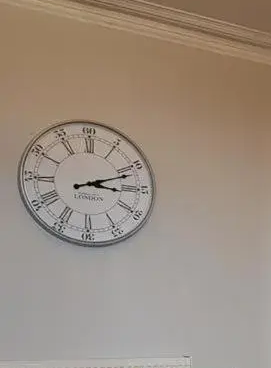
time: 3:11
